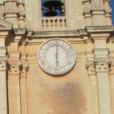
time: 6:01
